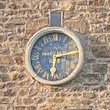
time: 6:13
